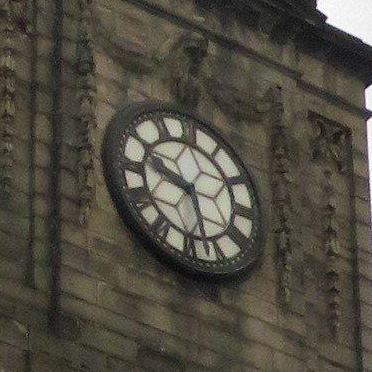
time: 9:27
